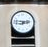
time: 2:46
